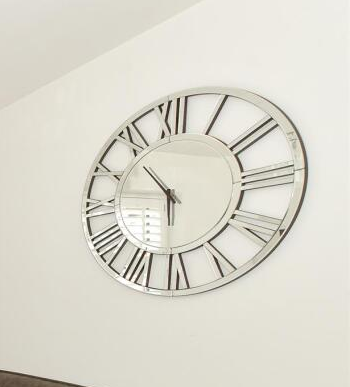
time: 10:47
